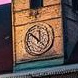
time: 11:51
